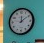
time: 12:09
